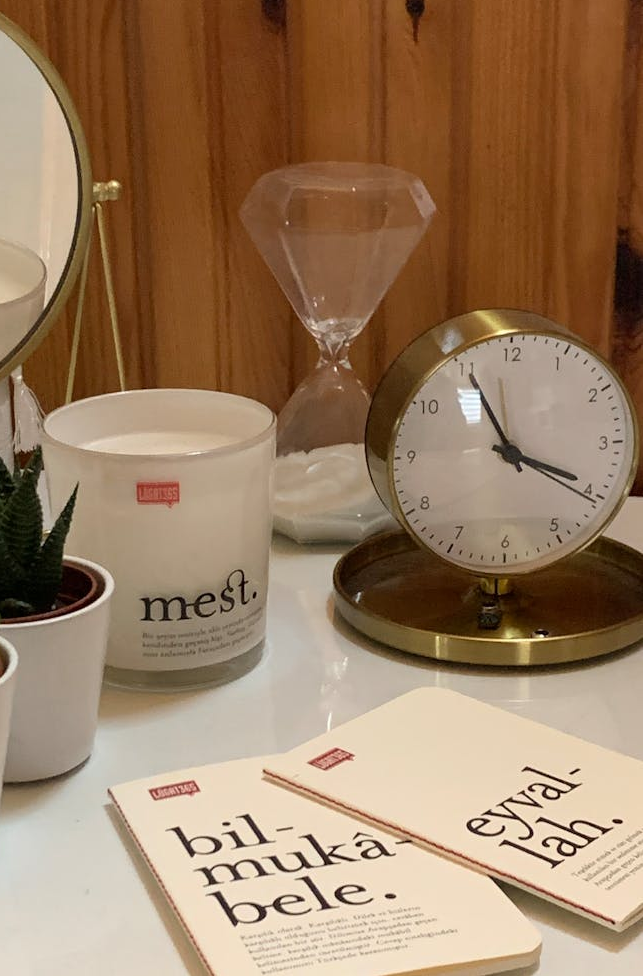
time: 3:55
